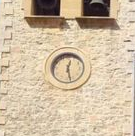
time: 12:27
